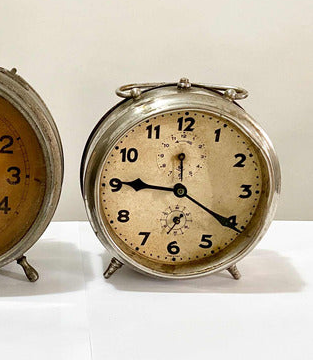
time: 9:20
